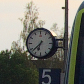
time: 6:37
